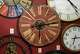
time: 6:13
